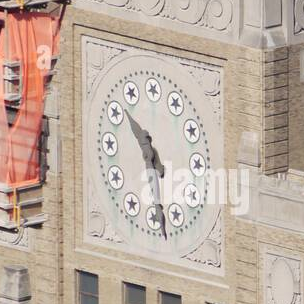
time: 10:28
